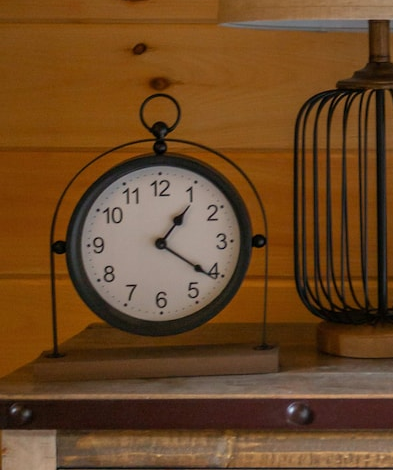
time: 1:20
